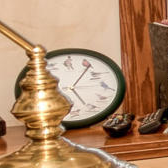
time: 5:06
